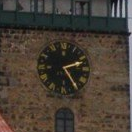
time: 2:24
